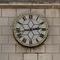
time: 2:43
